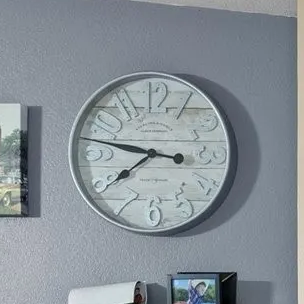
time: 7:47
